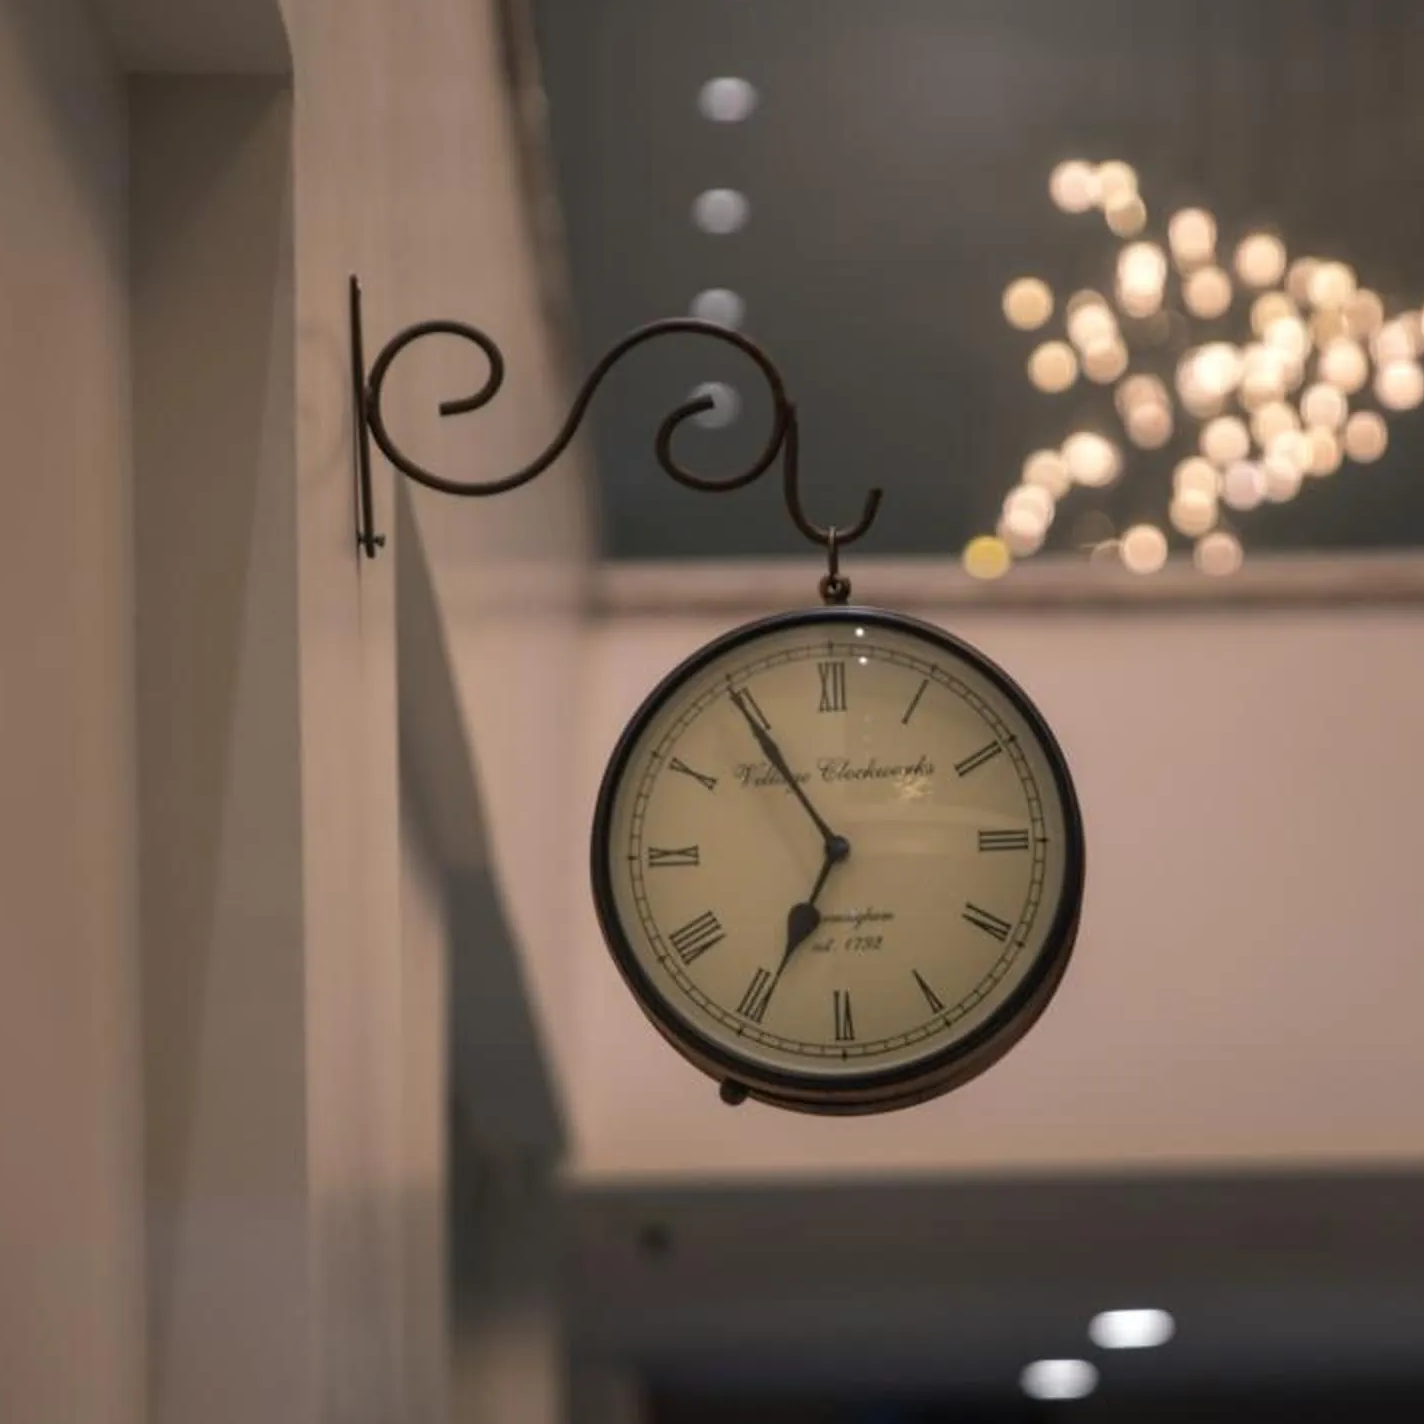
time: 6:54
